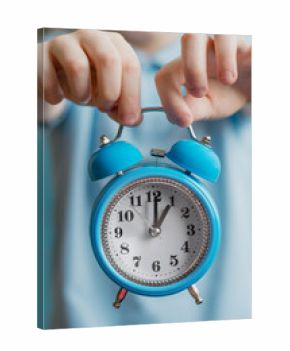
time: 1:00
